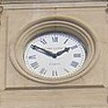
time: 1:50
